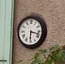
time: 6:17
